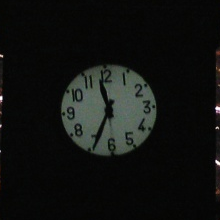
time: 11:34
